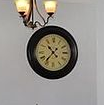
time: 10:36
